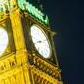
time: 8:11
